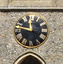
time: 11:46
